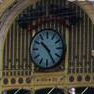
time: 10:24
